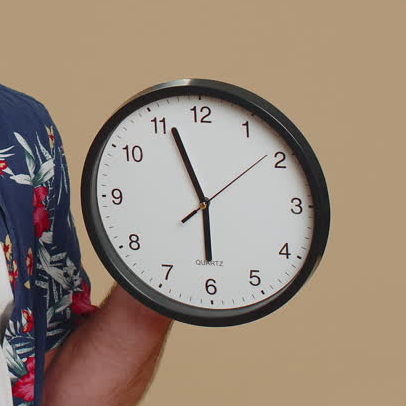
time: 5:56
